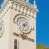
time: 2:33
